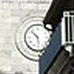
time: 10:28
